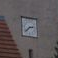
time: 2:38
